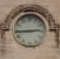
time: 2:44
